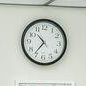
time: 10:36
